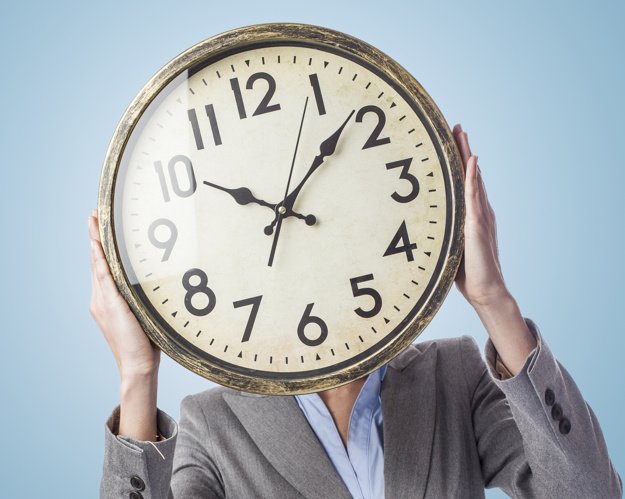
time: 10:08
